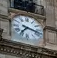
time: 7:17
